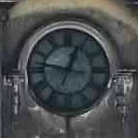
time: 12:46
